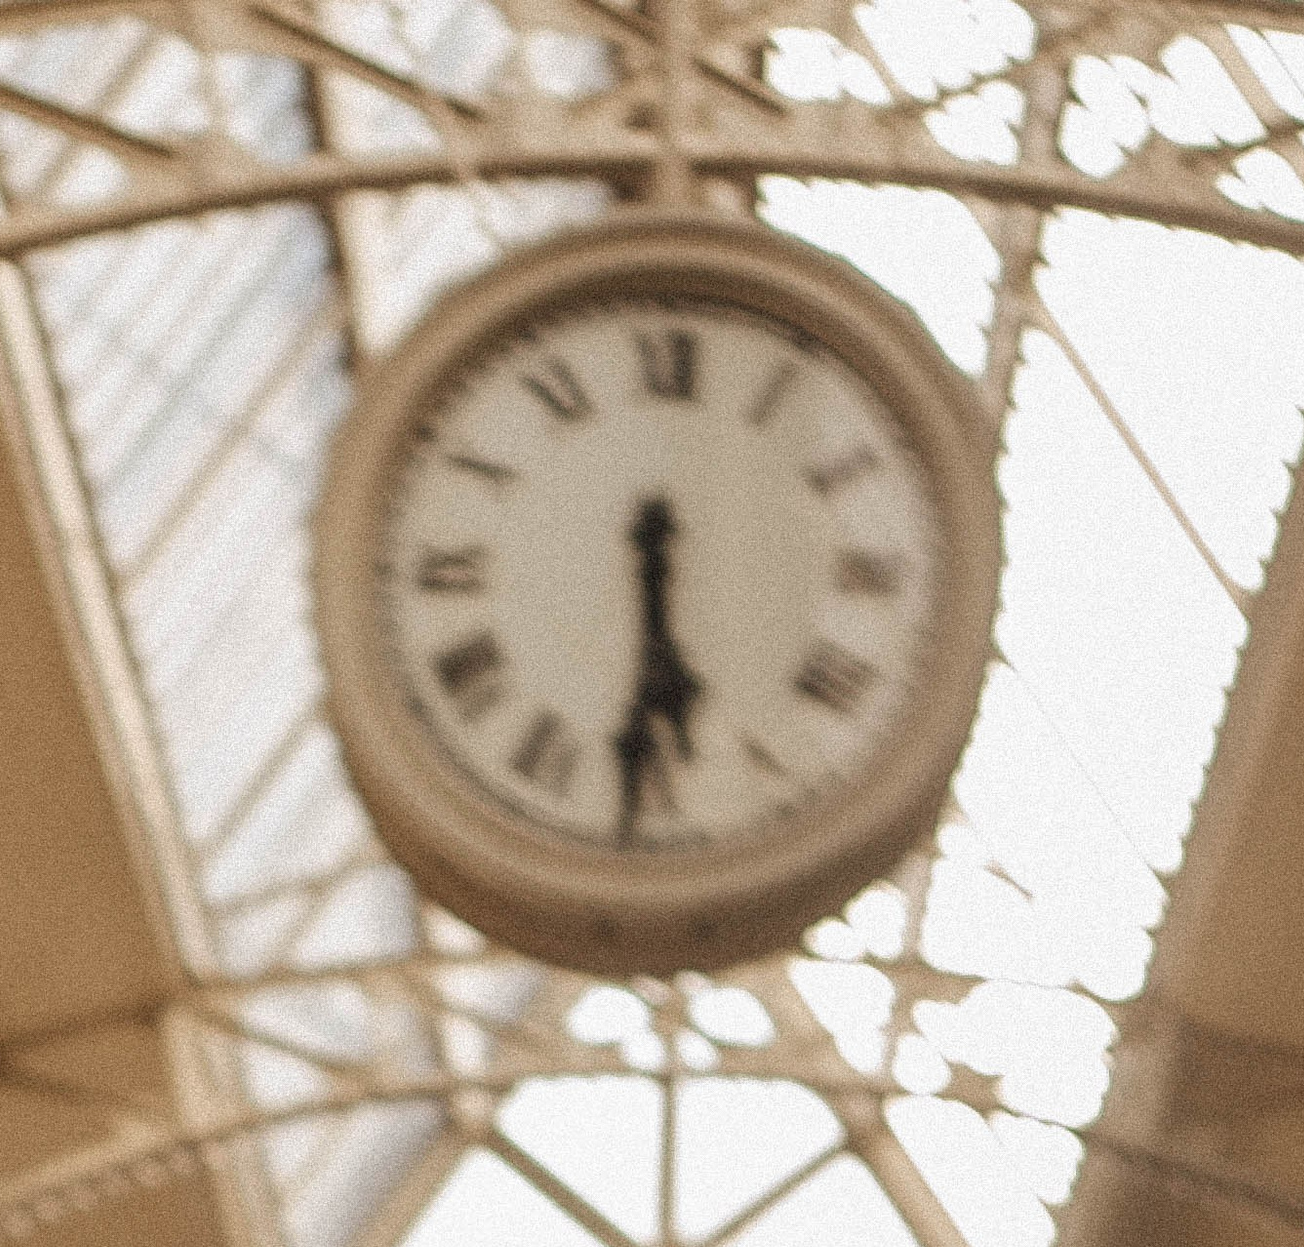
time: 5:30
